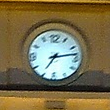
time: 7:13
